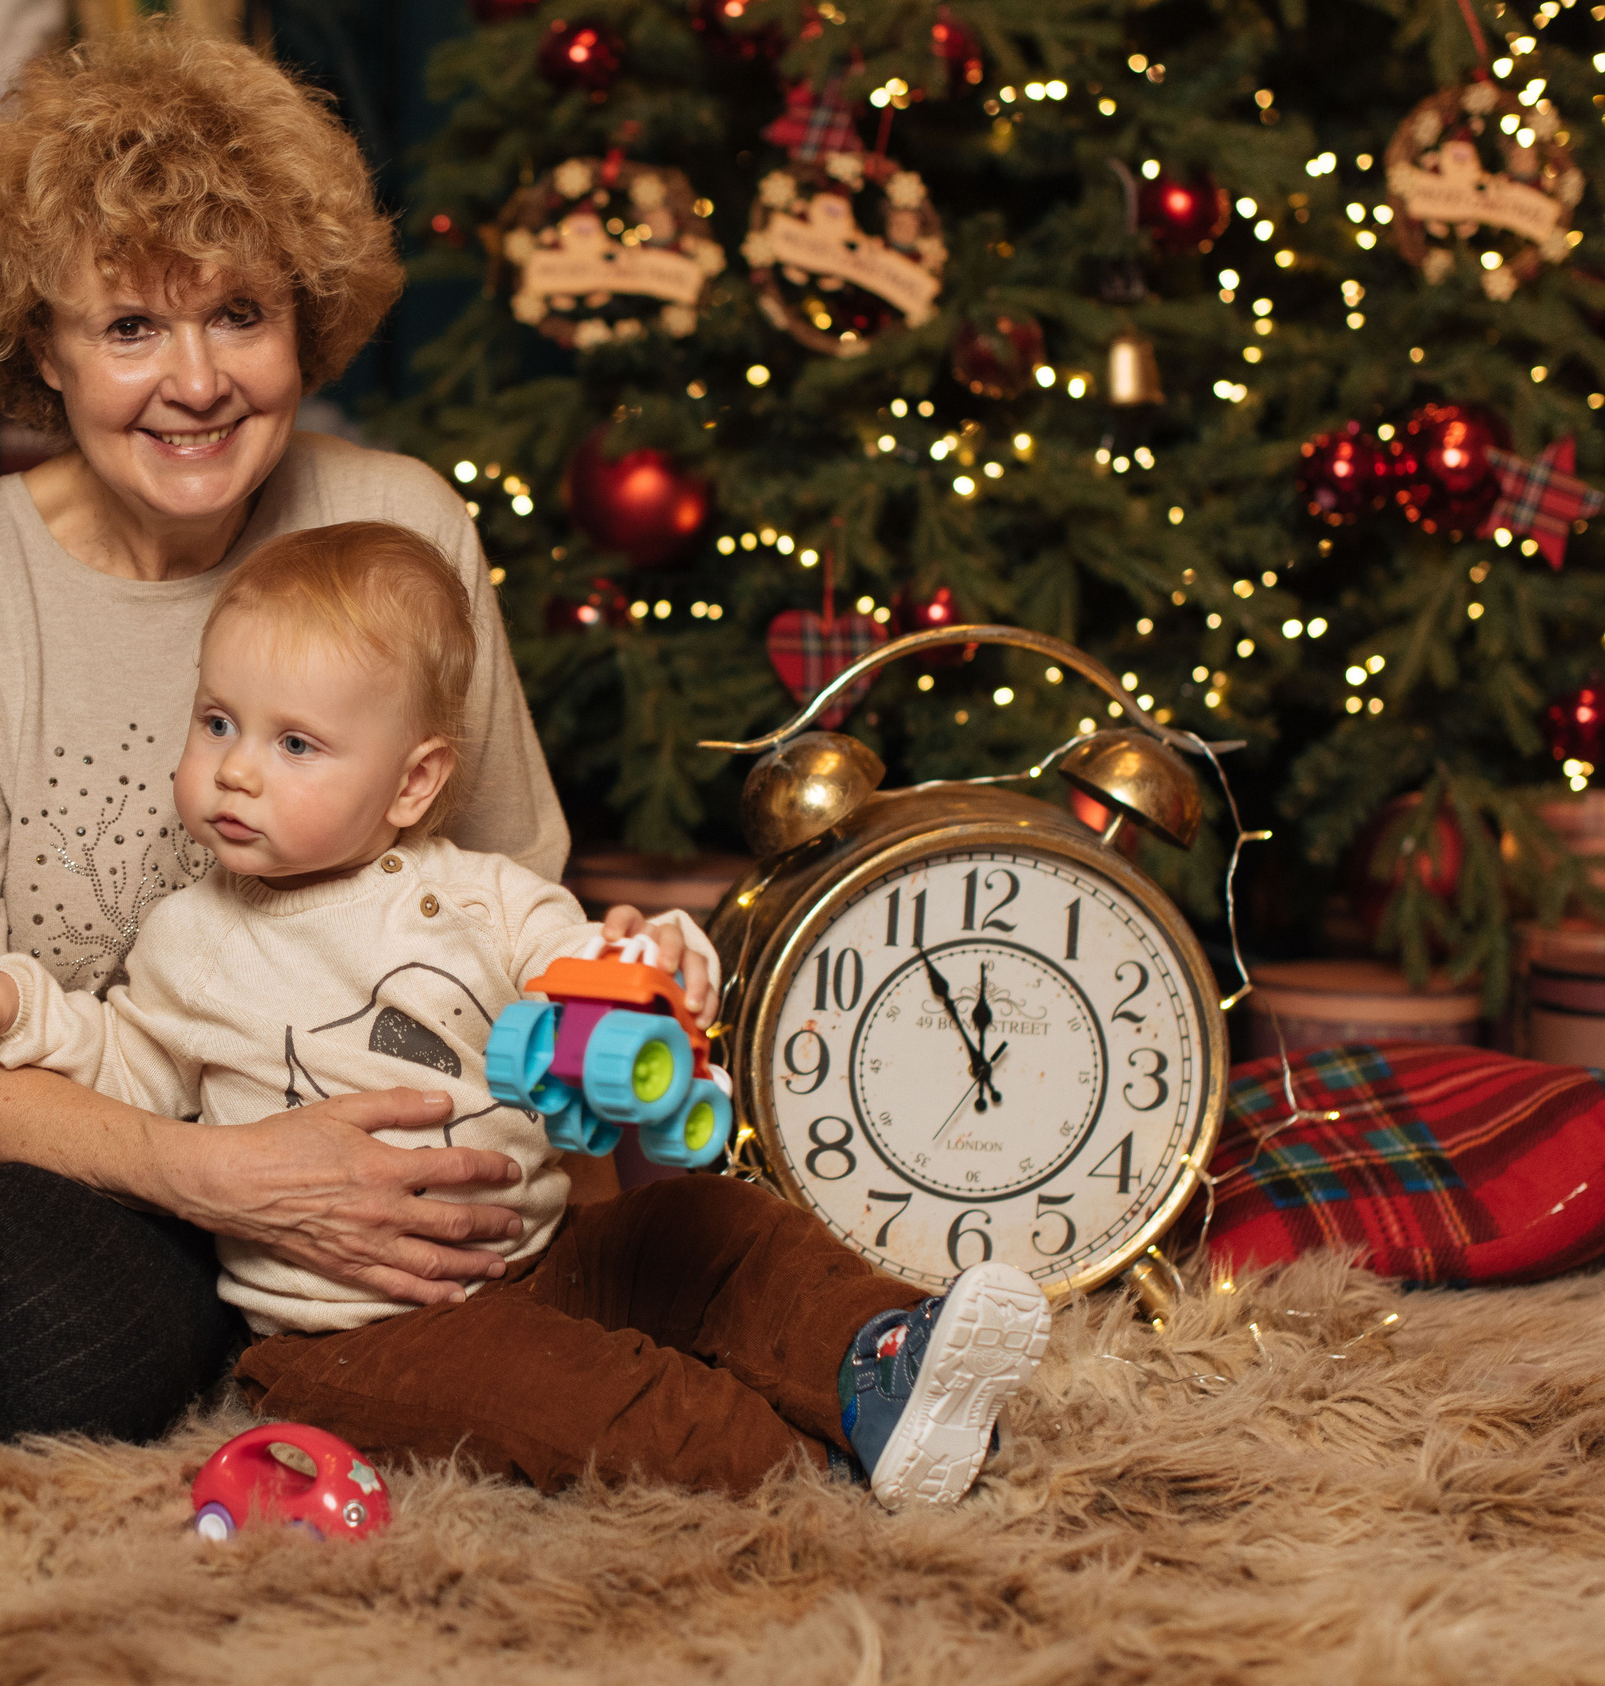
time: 11:55
